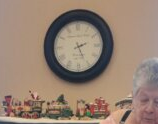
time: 2:25
